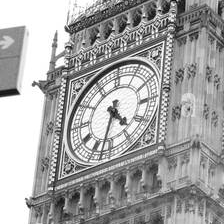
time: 4:32
